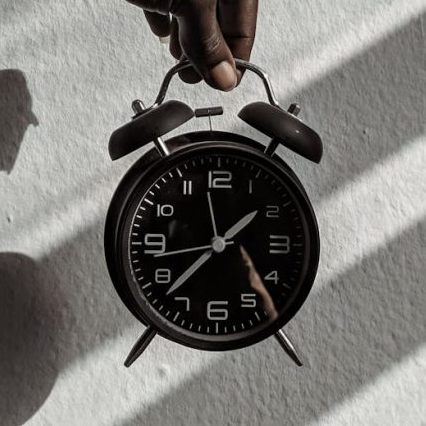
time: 1:37
